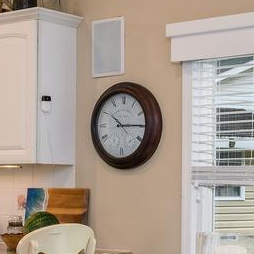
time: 10:14
